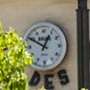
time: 12:49
